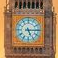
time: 5:14
